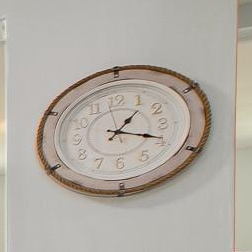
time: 1:18
